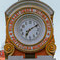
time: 7:10
